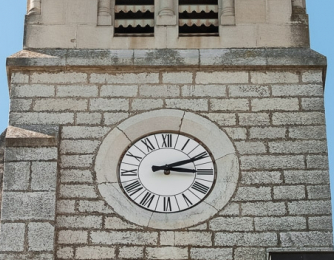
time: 2:15
